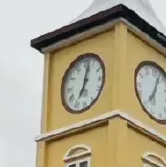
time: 7:02
